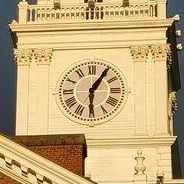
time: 6:05
